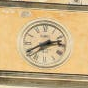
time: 2:40
